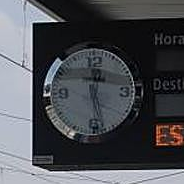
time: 12:28
